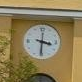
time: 3:30
